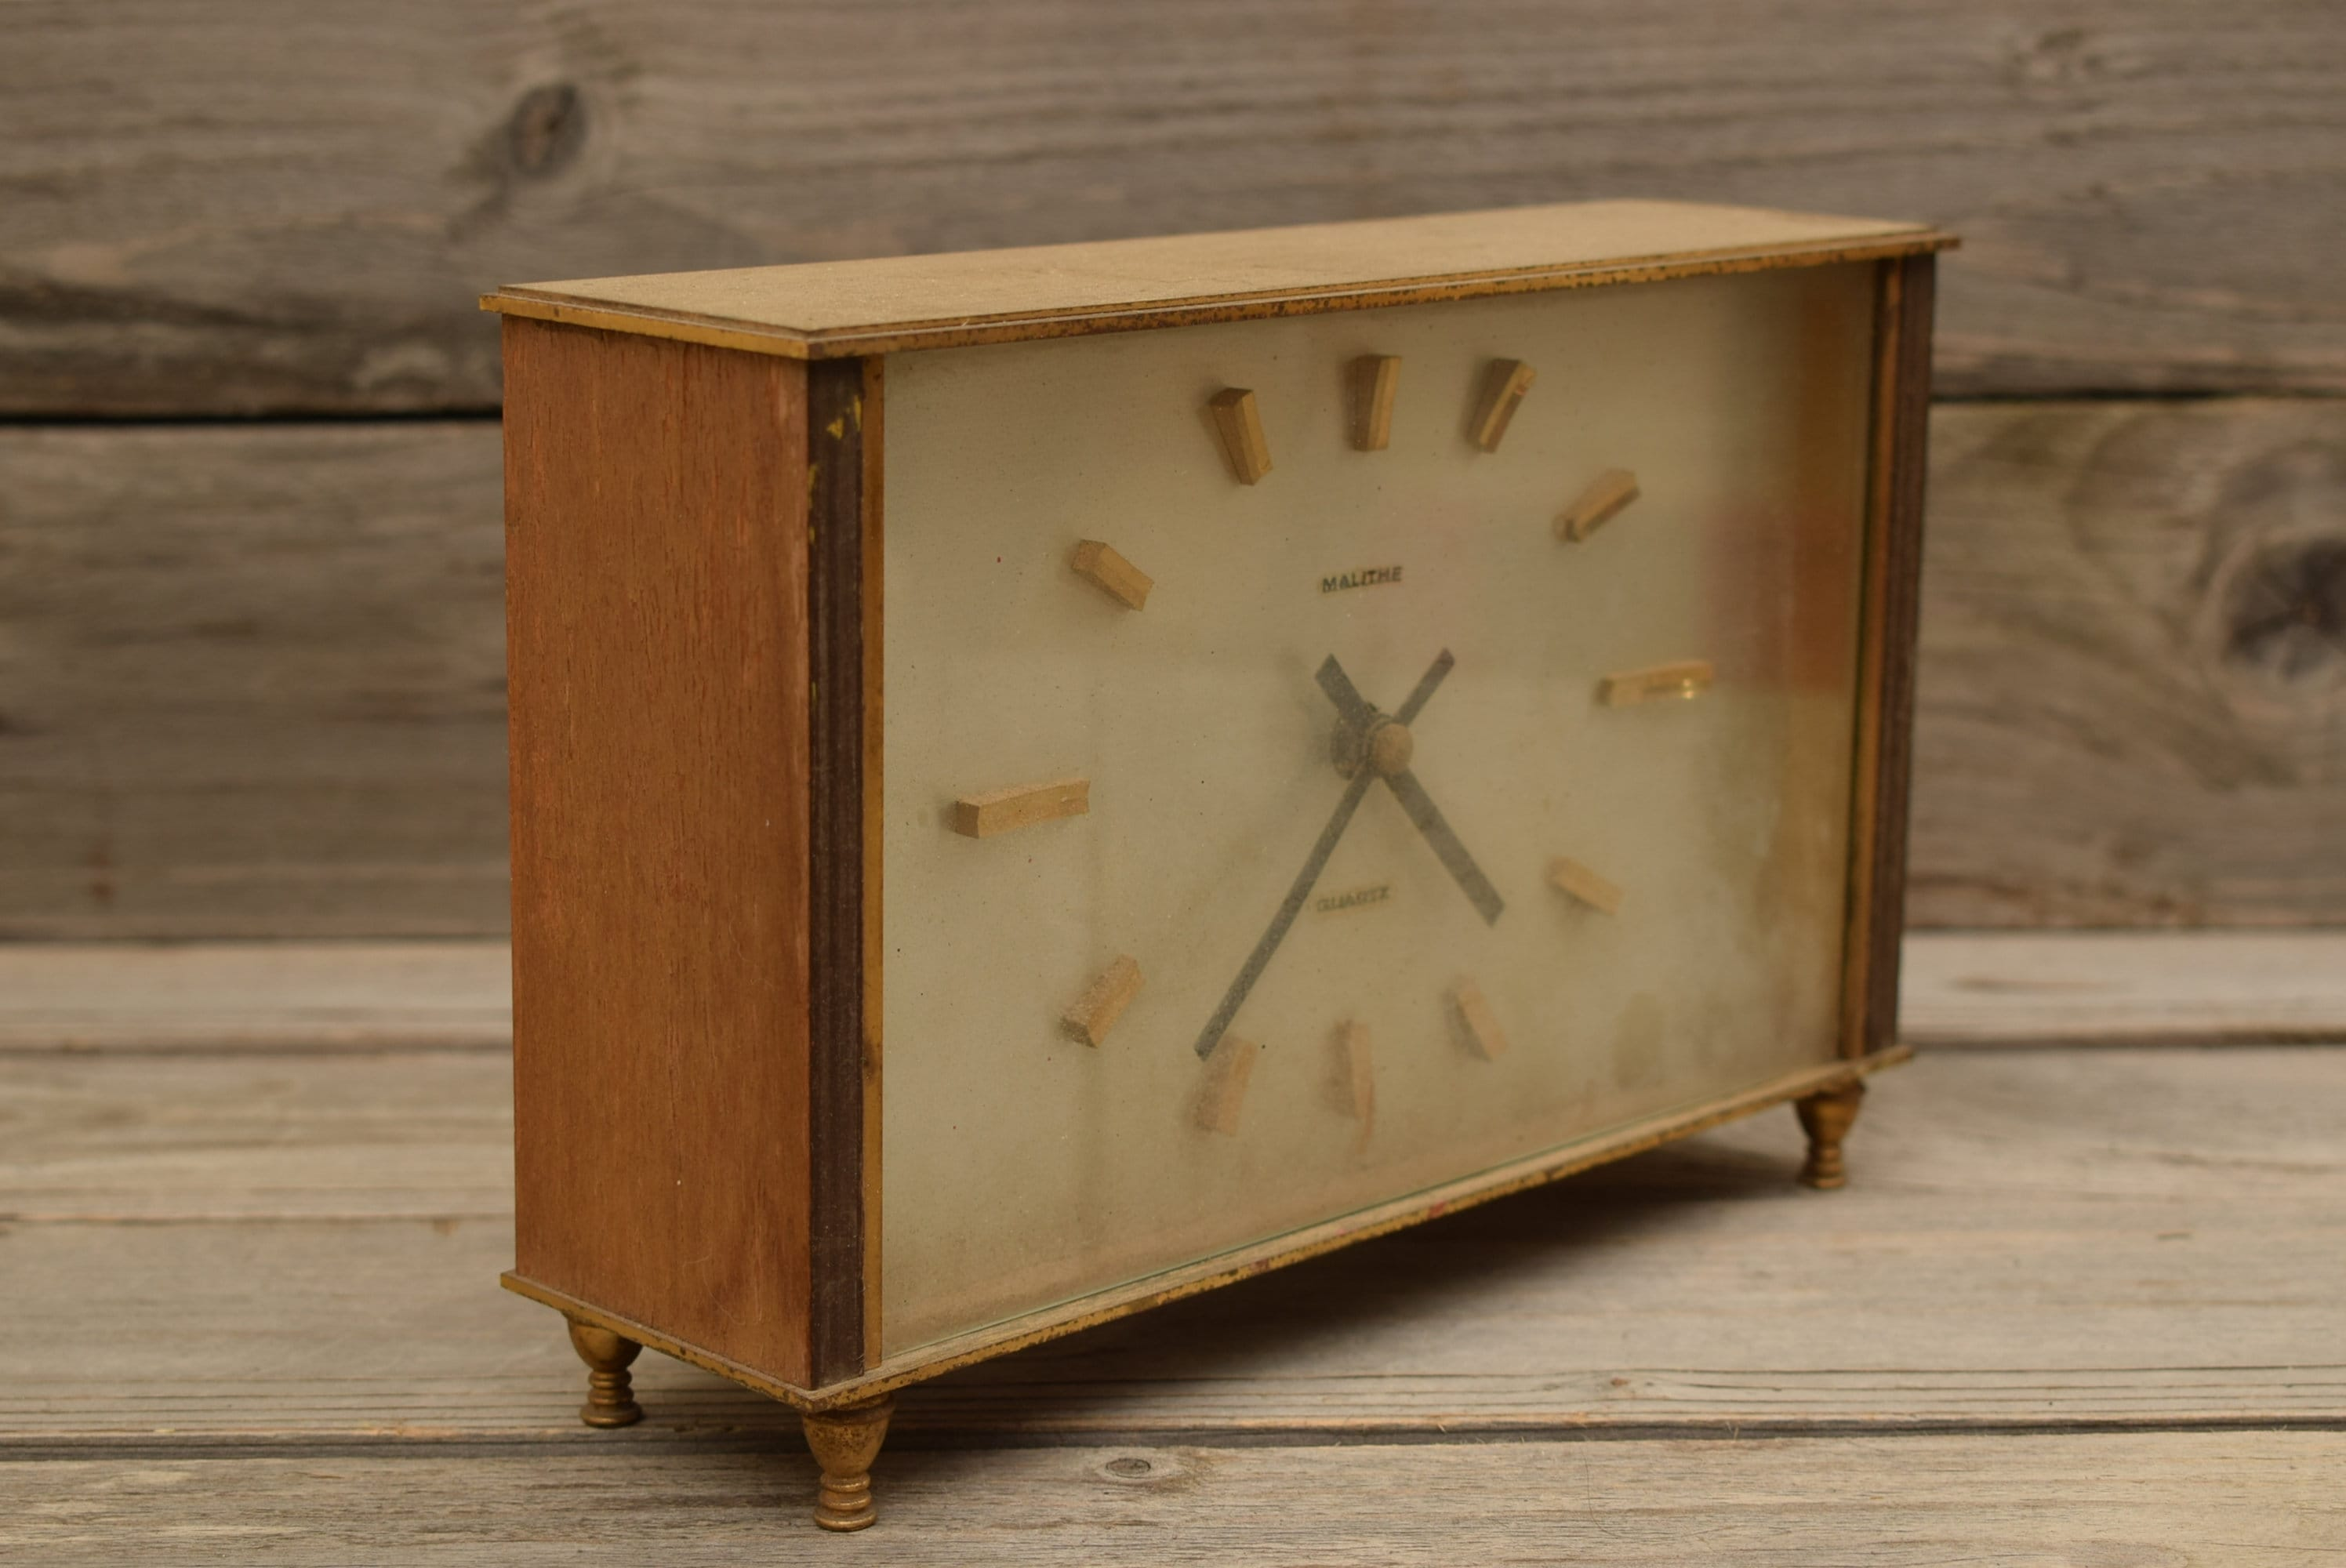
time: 4:36
